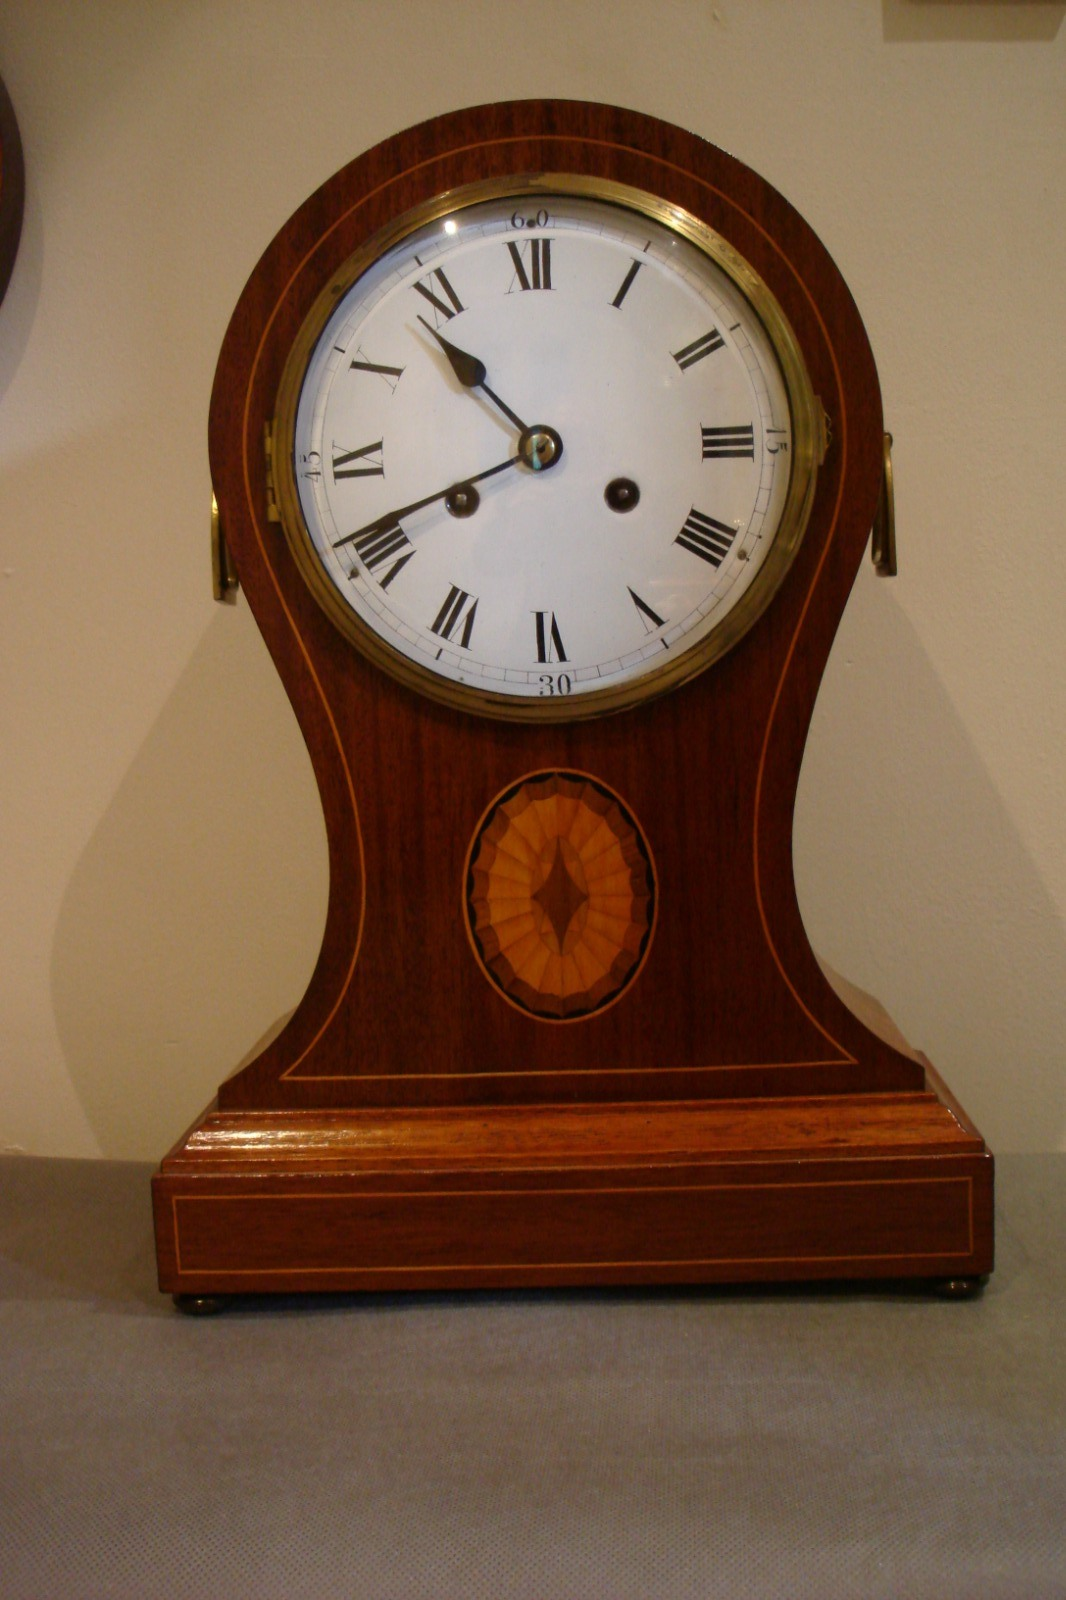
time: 10:41
